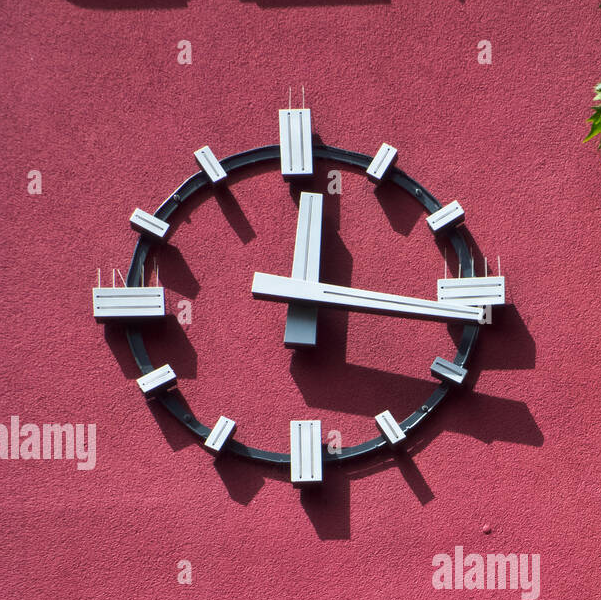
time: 12:16
